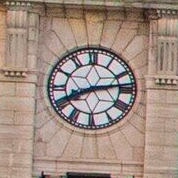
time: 8:13
